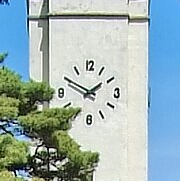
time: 1:50
